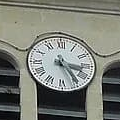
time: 3:24
